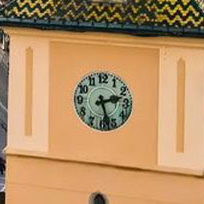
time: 2:27
